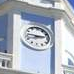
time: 2:46
